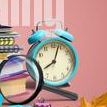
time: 8:03
